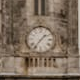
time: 1:36
